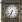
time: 6:34
